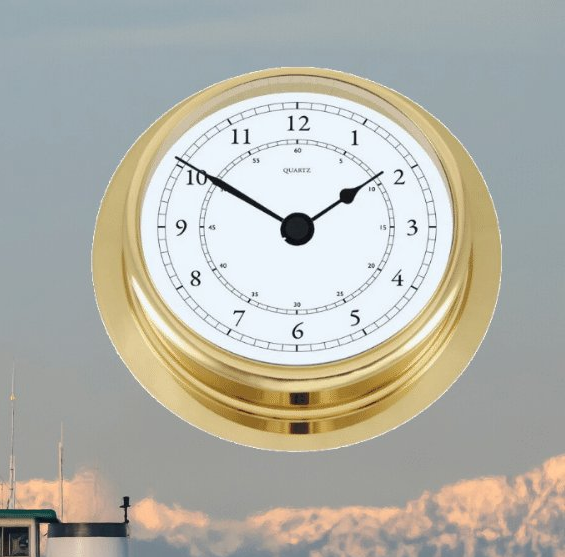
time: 1:50
